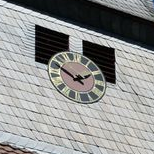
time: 1:50
